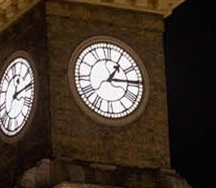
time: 1:14
